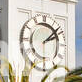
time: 2:08
